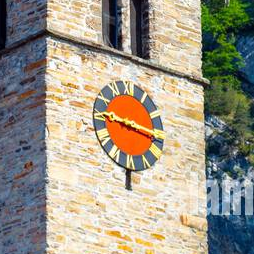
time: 9:17
